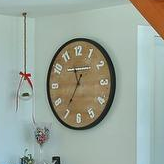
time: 11:35
